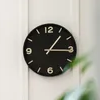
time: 1:15
